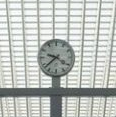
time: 9:38
